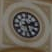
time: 2:26
